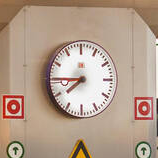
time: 7:45
